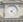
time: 4:08
